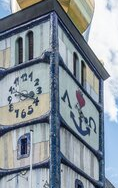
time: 3:19
